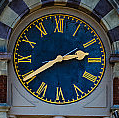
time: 2:39
